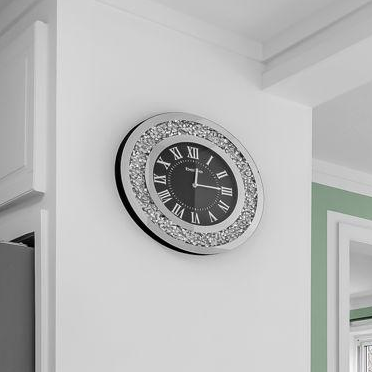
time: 6:15
